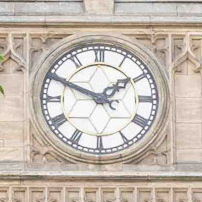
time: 1:49
